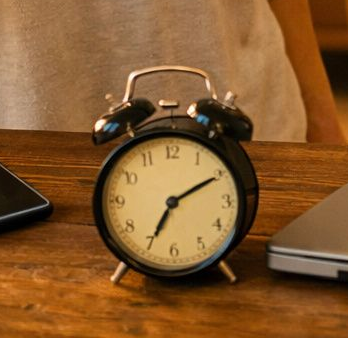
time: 7:10
